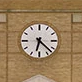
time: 6:22
